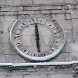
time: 6:00
